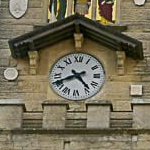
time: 4:40
